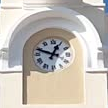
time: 12:48
